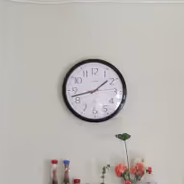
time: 1:42
